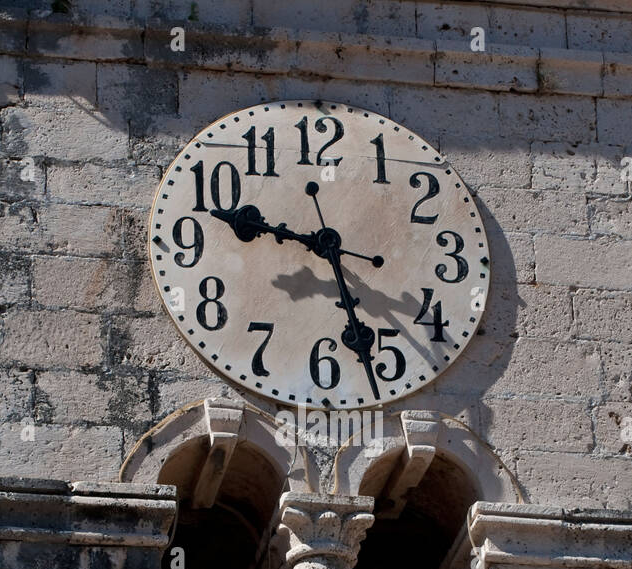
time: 9:27
